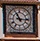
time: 11:15
